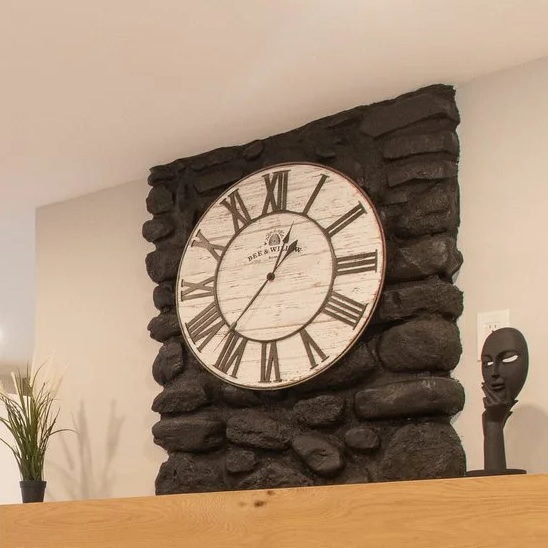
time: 12:36
